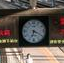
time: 6:19
